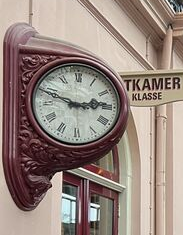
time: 2:49
